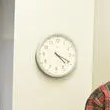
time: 4:19
